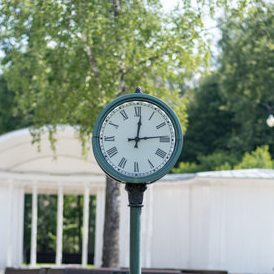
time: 12:13
